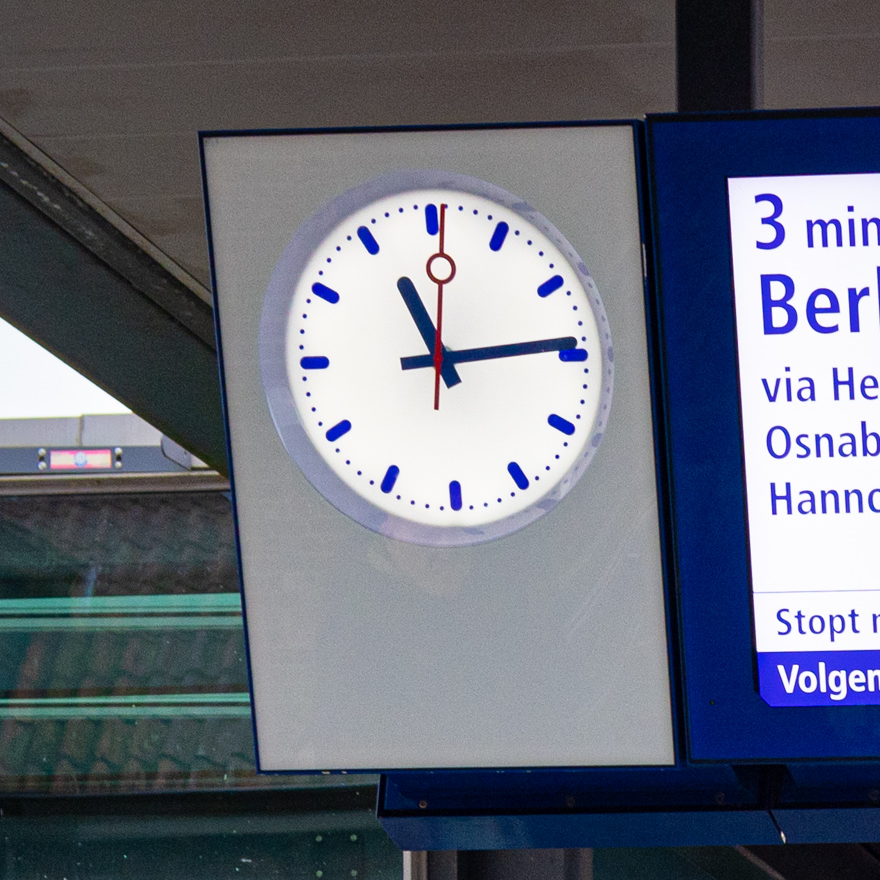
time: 11:14
